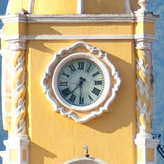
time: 7:30
